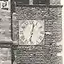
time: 12:32
